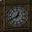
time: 12:40
